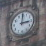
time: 3:00
